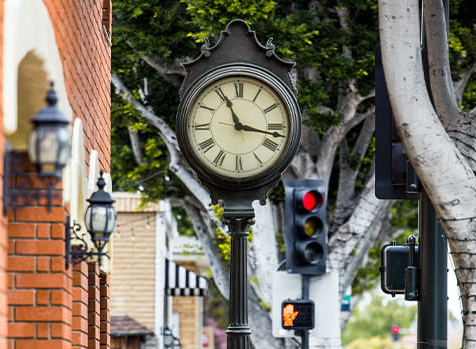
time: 11:17
